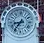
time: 8:36
